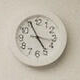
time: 4:55
